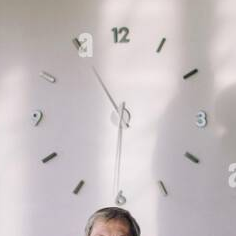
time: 10:30
